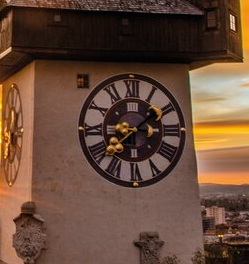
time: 1:37
